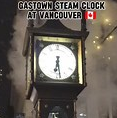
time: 6:28
